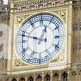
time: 12:48
